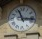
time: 11:16
